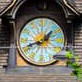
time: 1:41
